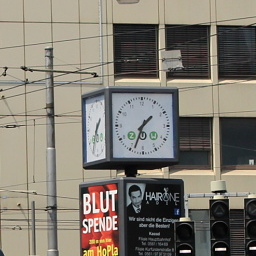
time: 1:33
